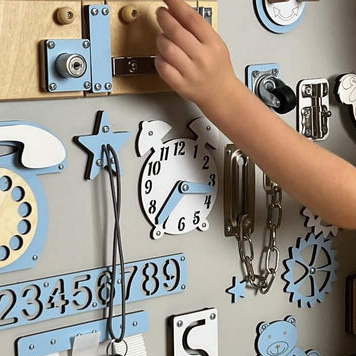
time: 7:37
